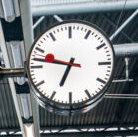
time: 6:47
